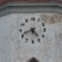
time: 4:41
